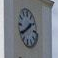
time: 1:39
